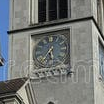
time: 5:35
